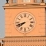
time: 7:41
